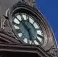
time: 10:28
